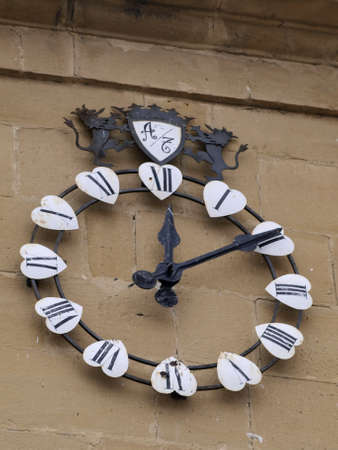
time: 12:09
